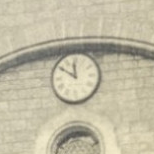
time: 11:50
